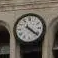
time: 4:21
